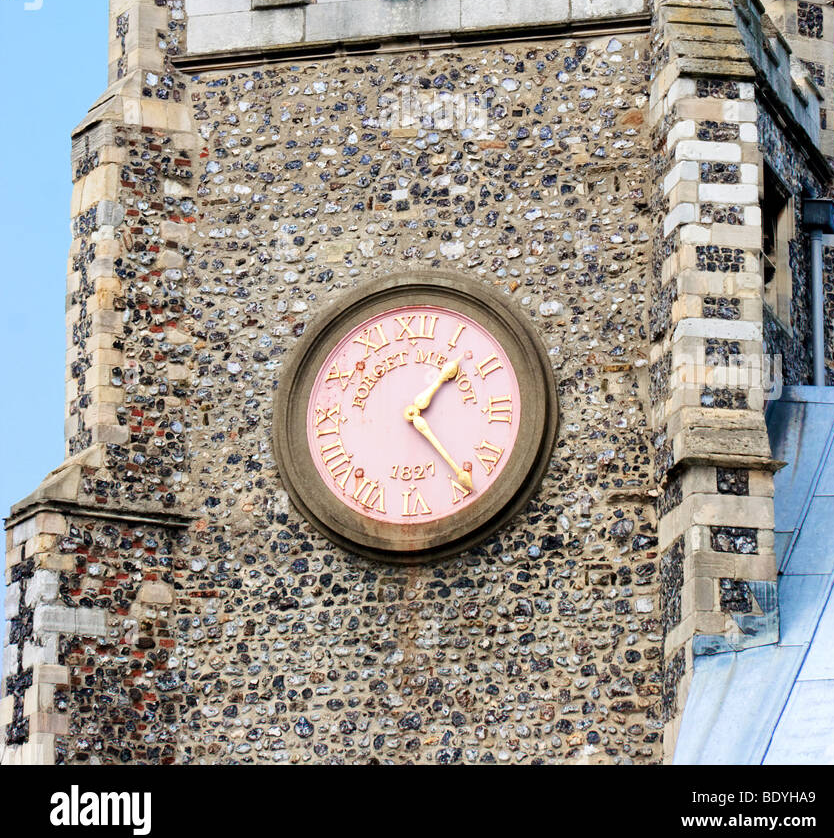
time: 1:23
